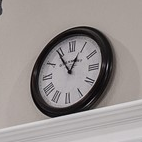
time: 12:54
